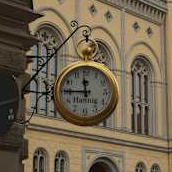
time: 11:44
